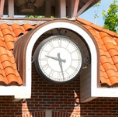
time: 9:27
